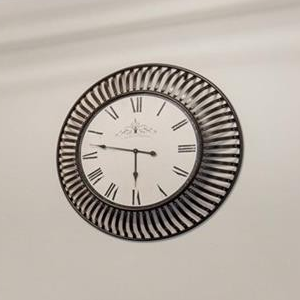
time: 5:46
